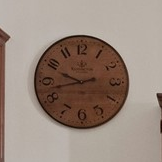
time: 9:42
